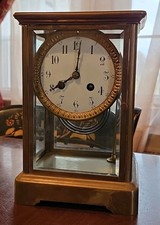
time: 8:01
